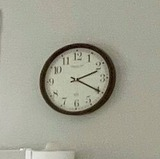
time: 2:19
